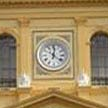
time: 12:21
